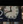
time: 11:42
